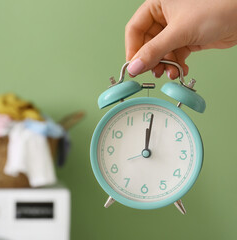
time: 12:01
